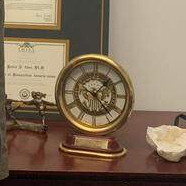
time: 1:23
